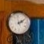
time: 2:09
